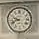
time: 9:41
